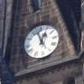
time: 12:57
